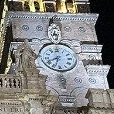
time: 6:40
